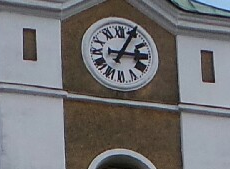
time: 3:04
